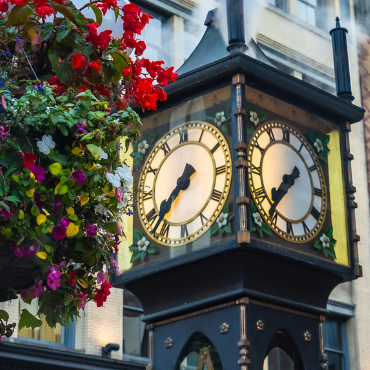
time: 7:37
